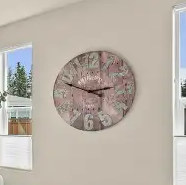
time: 2:48
